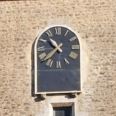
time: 10:37
